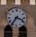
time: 3:36
